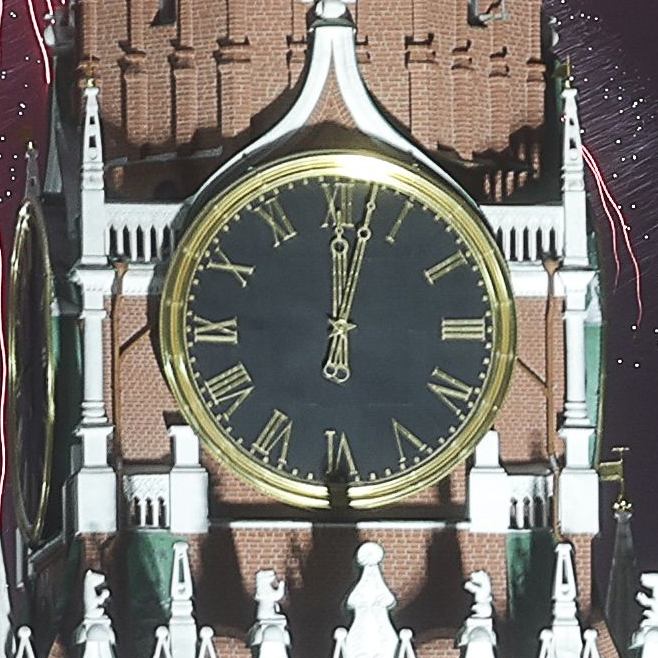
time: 12:02
